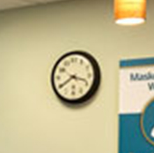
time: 3:39
